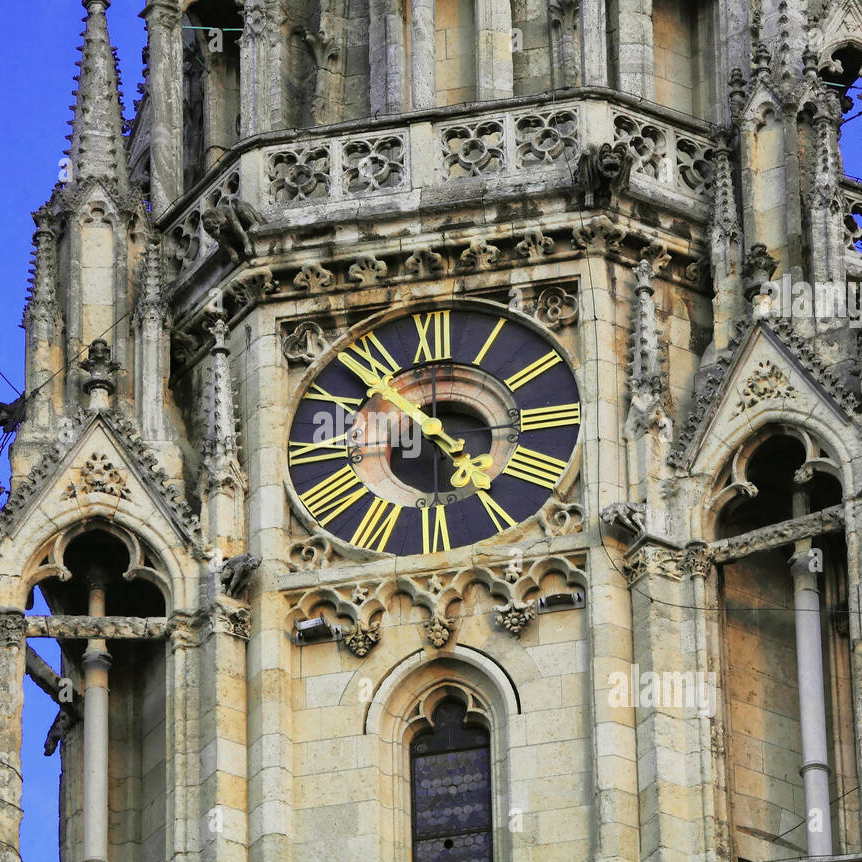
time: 4:52
